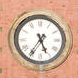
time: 5:35
